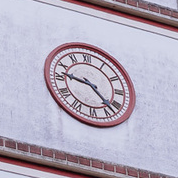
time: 9:22
